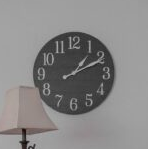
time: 1:10
